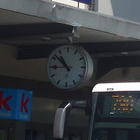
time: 10:45
